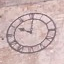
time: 10:00
